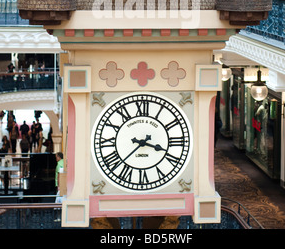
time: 3:37
